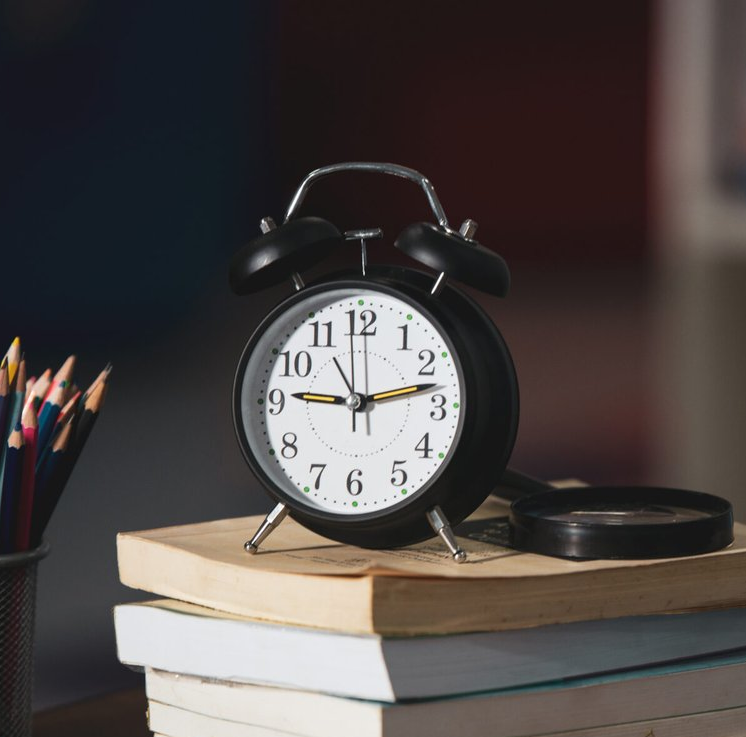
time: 9:12
